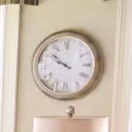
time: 9:51
